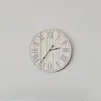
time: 2:36
